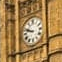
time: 9:47
